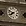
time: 7:48
